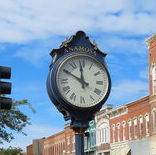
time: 11:49
